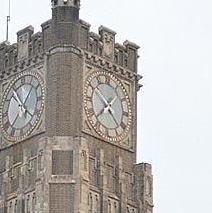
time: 7:22
